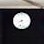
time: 8:27
